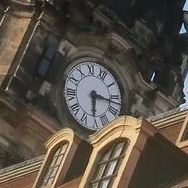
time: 6:17
